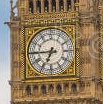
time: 6:44
